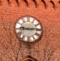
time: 9:14
